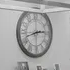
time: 2:42
